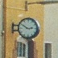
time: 2:50
